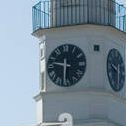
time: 9:31
